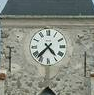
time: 4:37
